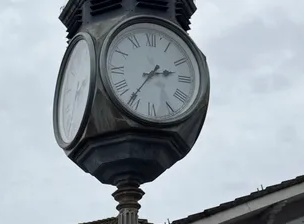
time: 2:36
